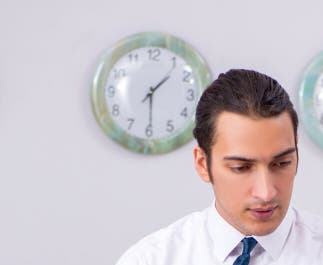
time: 1:29
